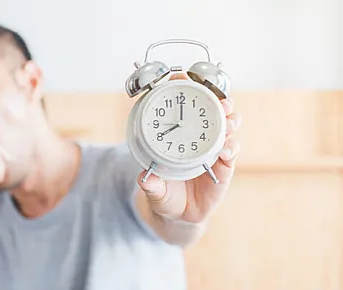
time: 8:00
